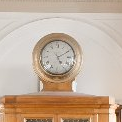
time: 5:10
